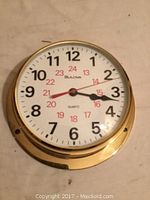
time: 3:16
